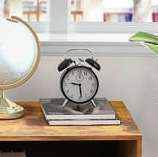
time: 9:28
